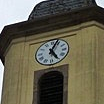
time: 5:03
